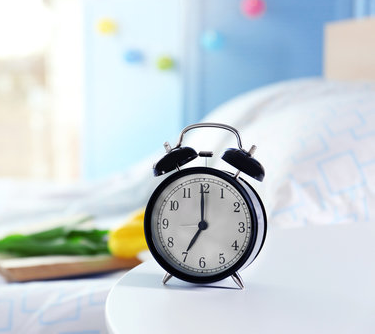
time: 7:00
